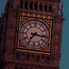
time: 7:16
